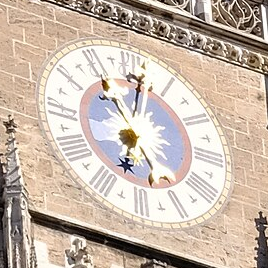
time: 5:01
